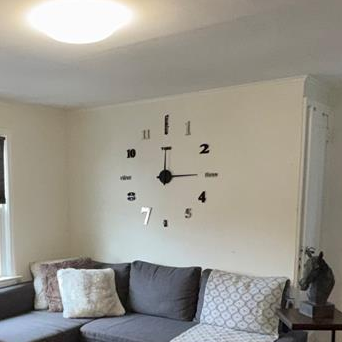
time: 3:00
